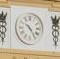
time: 4:23
